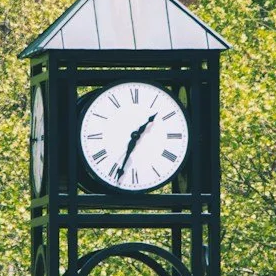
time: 1:33
